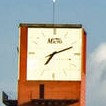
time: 7:11
